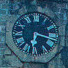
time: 6:17
